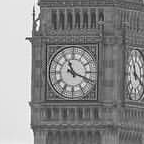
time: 11:18
